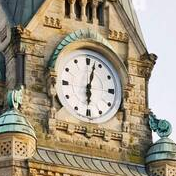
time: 6:02
